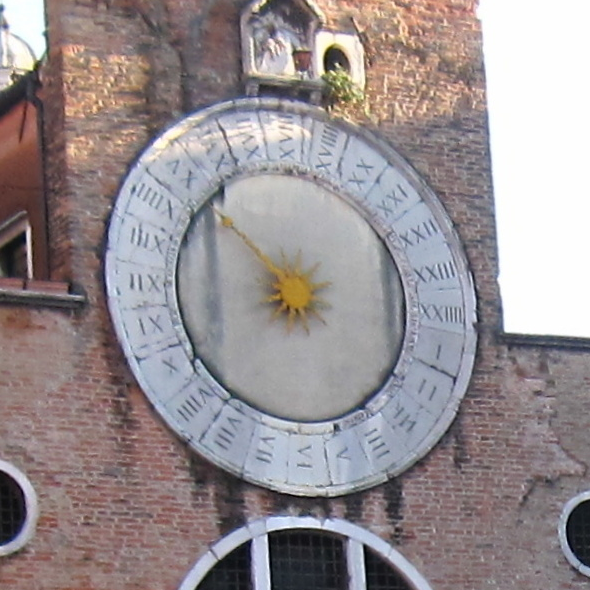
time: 8:52
